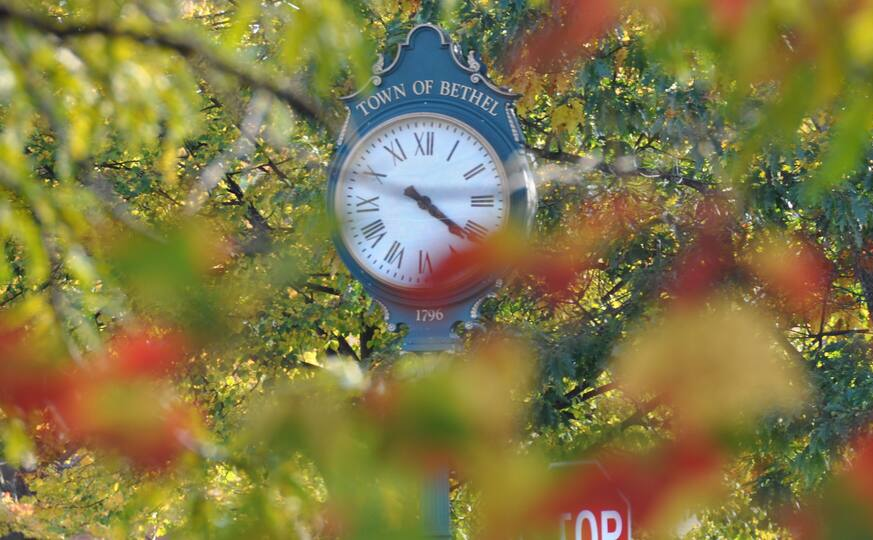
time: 4:14
